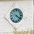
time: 4:21
